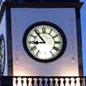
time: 8:53
